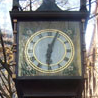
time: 6:03
